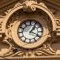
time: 1:19
